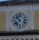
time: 10:38
